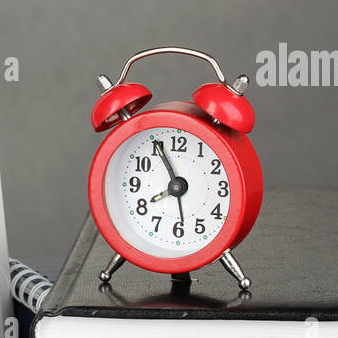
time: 7:55
